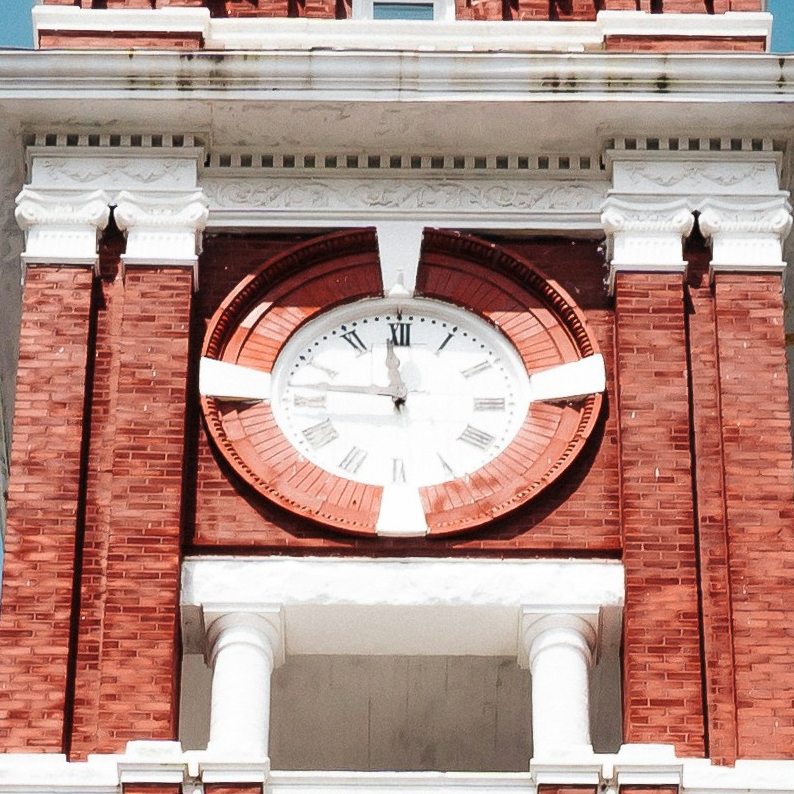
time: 11:46
